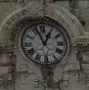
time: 12:56
